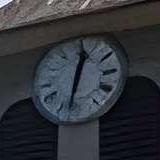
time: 12:32
